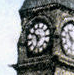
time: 10:33
